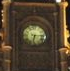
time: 6:15
